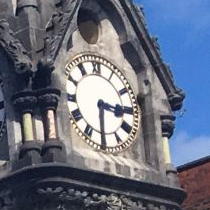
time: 6:15
